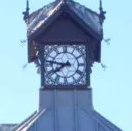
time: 7:46
